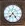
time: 7:24
